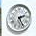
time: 2:25
